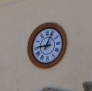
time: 9:04
